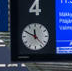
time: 11:49
